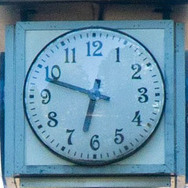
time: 6:48
